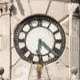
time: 6:22
